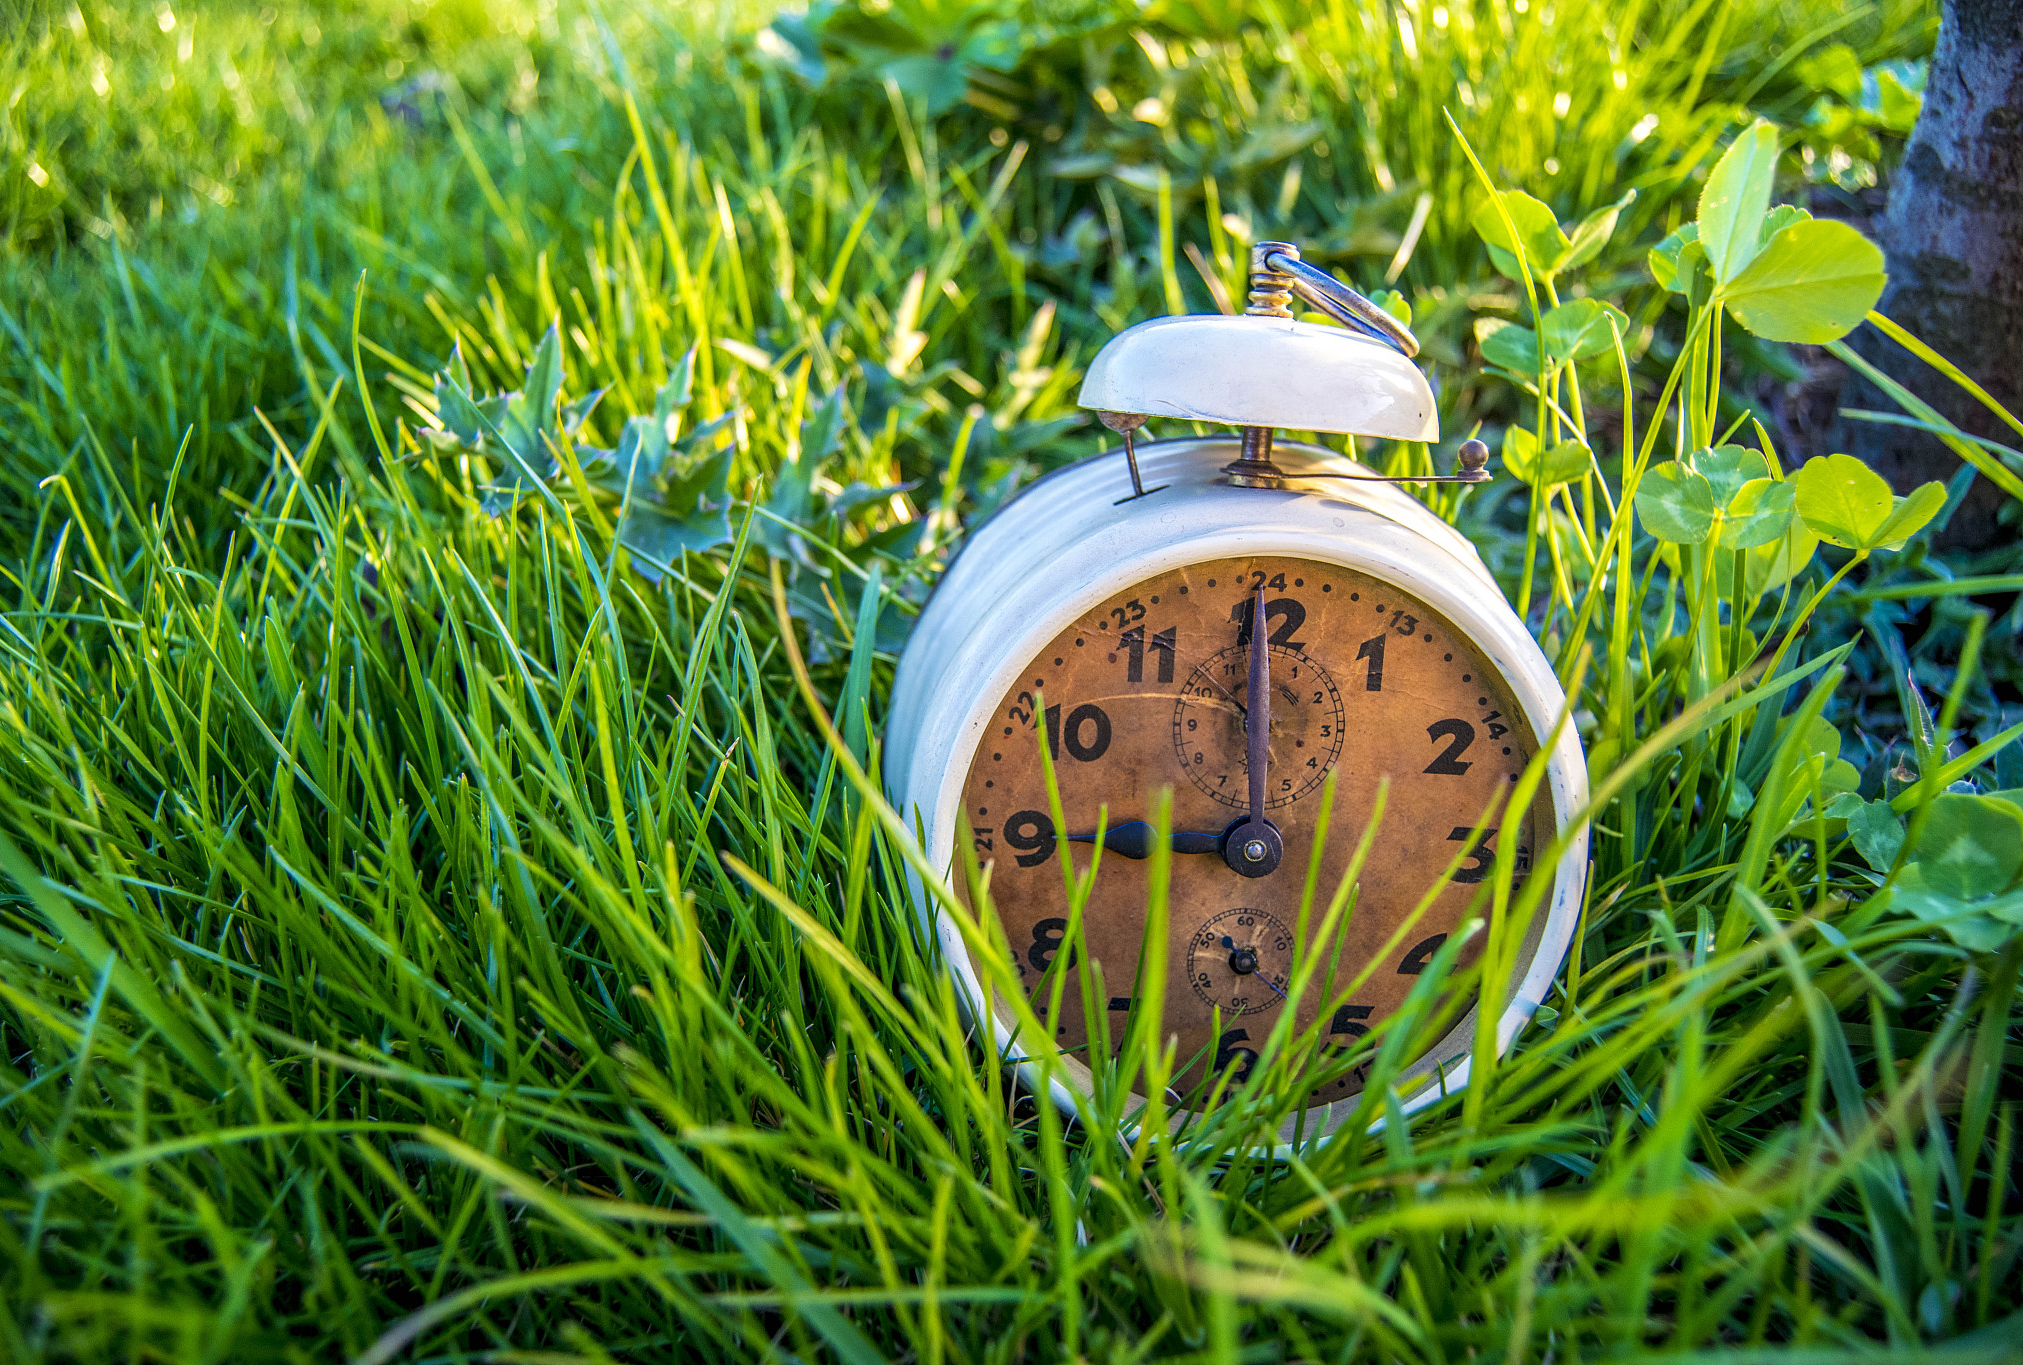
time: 8:59
